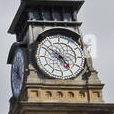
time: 4:50
